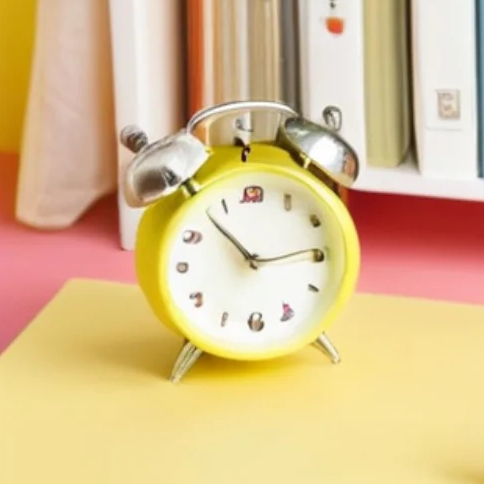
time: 2:53
